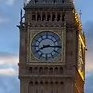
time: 8:15
